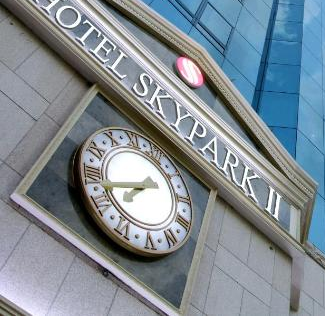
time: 7:42
